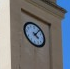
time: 4:06
